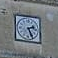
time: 2:26
